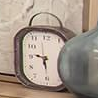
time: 5:46
